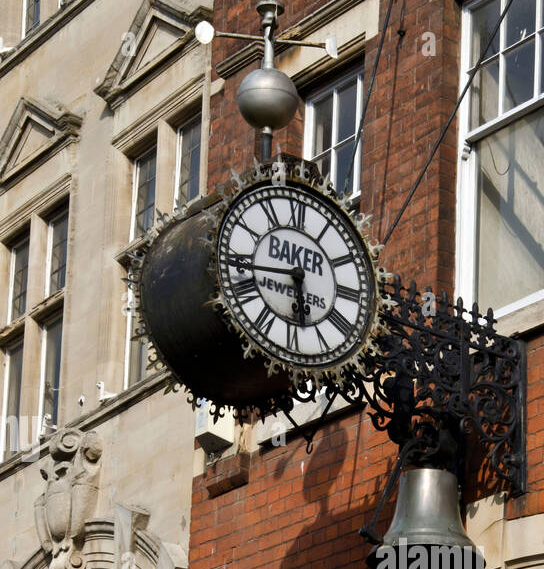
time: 5:43
